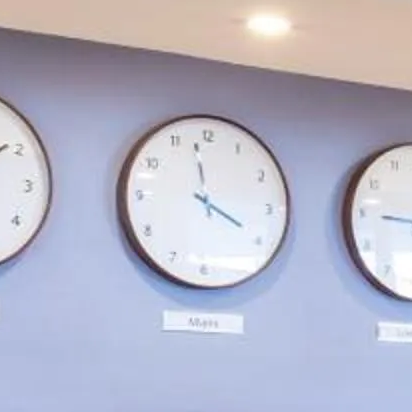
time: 3:57
